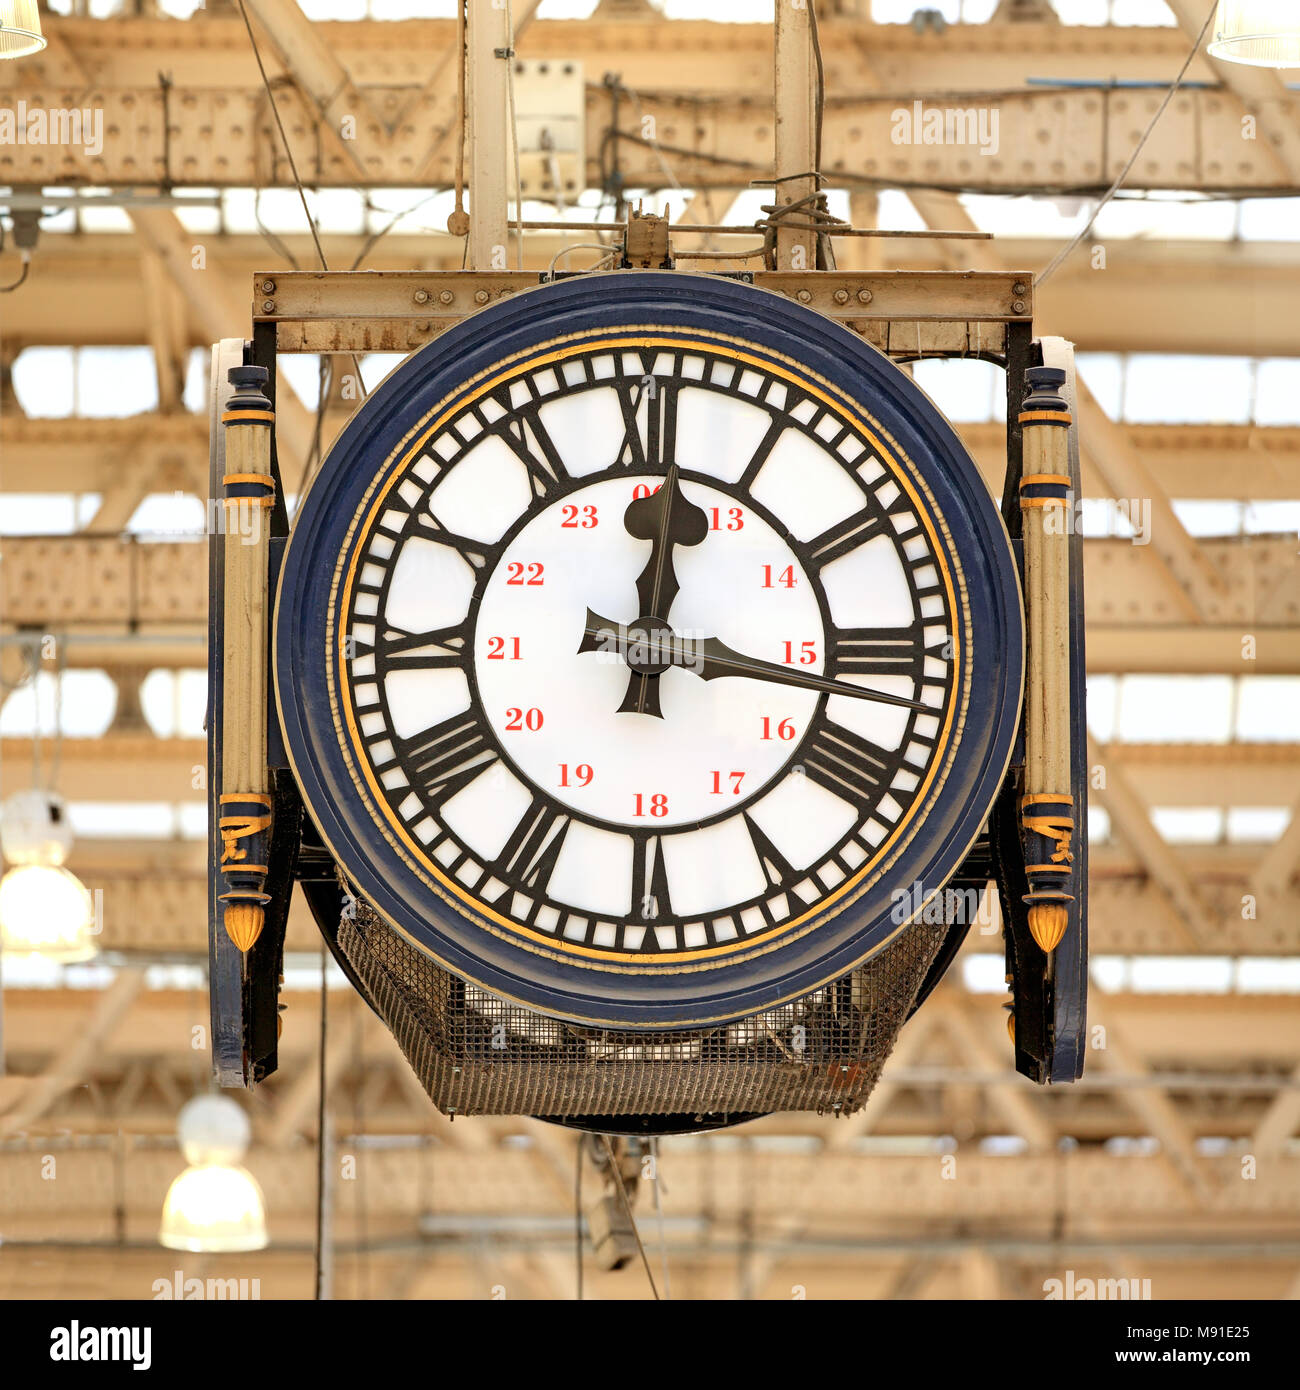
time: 12:16
